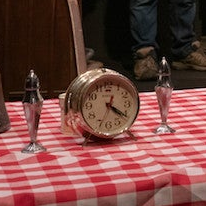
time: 4:20
